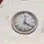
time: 12:20
